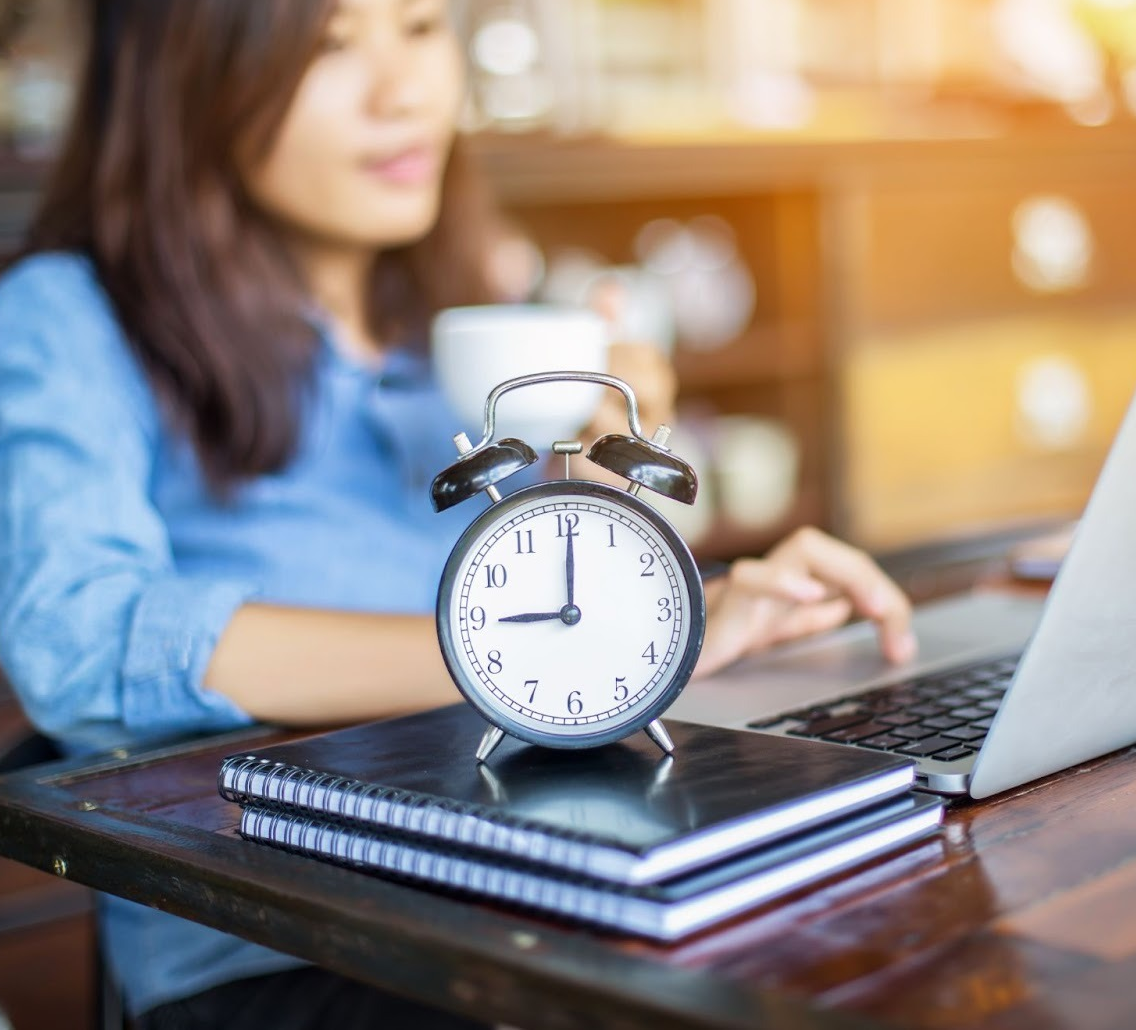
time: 9:00
